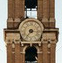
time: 7:16
